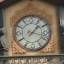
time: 1:17
